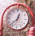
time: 12:37
